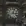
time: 3:03
